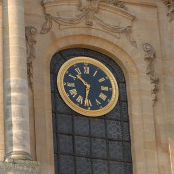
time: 10:32
